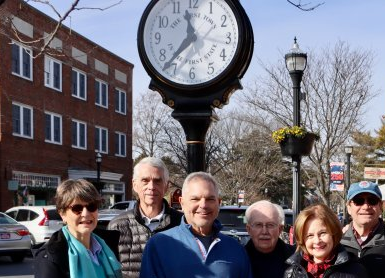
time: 11:36
